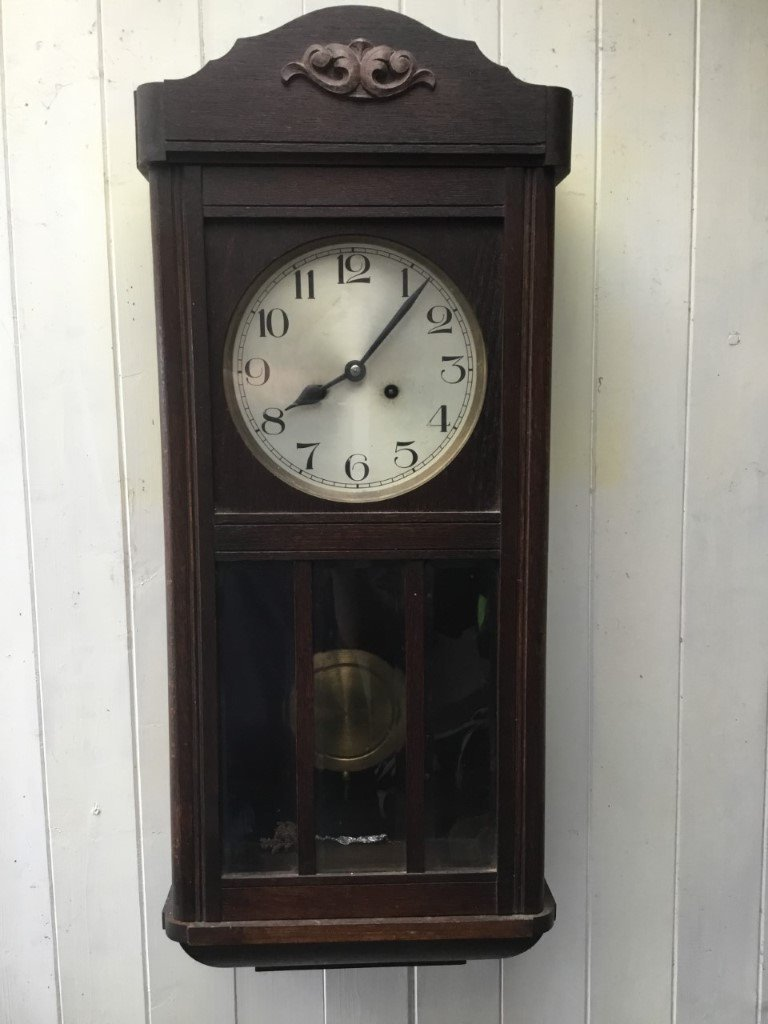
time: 8:07
